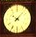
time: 10:07
